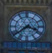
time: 3:38
